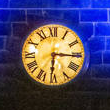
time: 6:15
